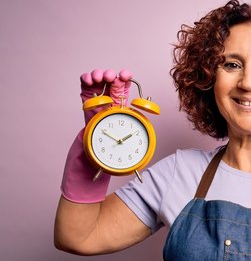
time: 1:49
